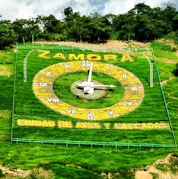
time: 3:01
